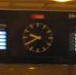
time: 9:39
